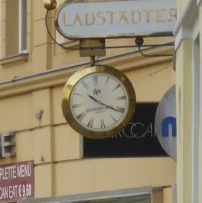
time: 10:20
